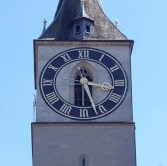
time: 3:27
